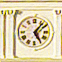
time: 5:06
